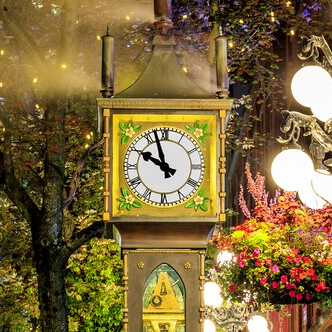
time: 9:57
